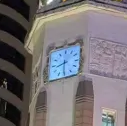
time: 8:30
